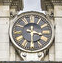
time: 3:29
